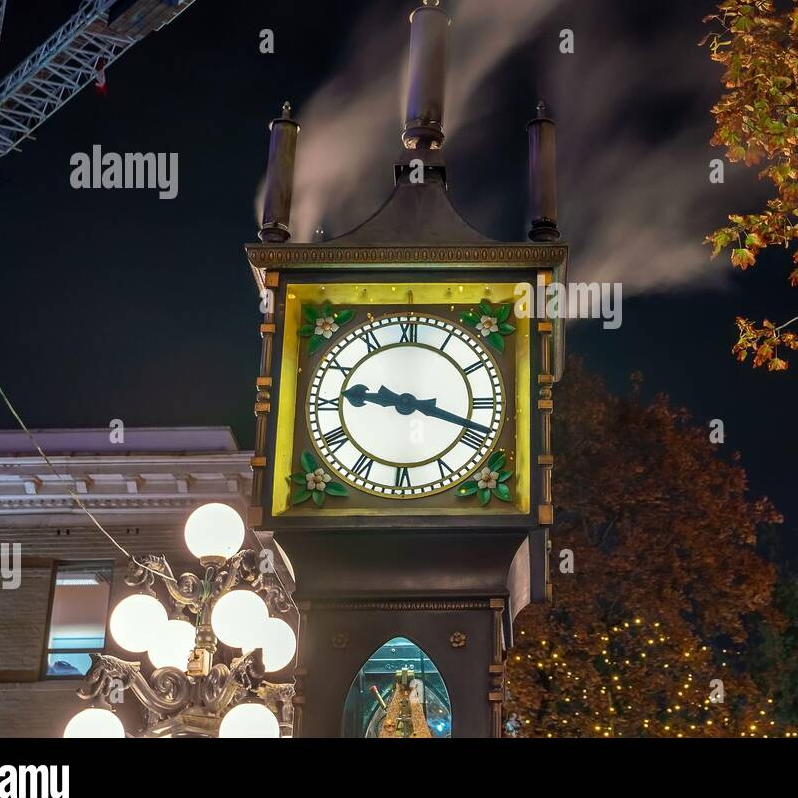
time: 9:18
